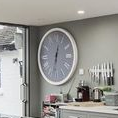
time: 12:32
